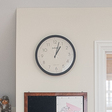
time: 1:02
